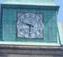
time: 9:31
